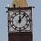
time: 12:07
